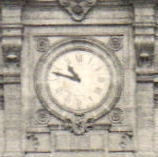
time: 10:47
